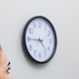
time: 4:45
